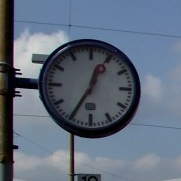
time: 12:34
